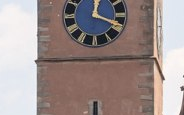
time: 12:18
